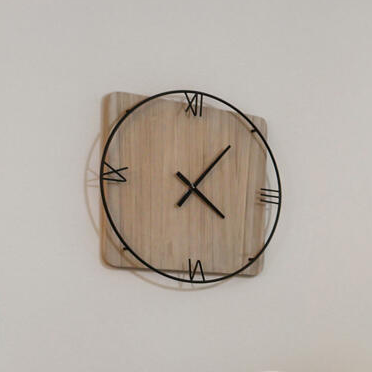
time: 4:06
